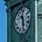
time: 11:28
